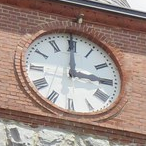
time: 2:59
